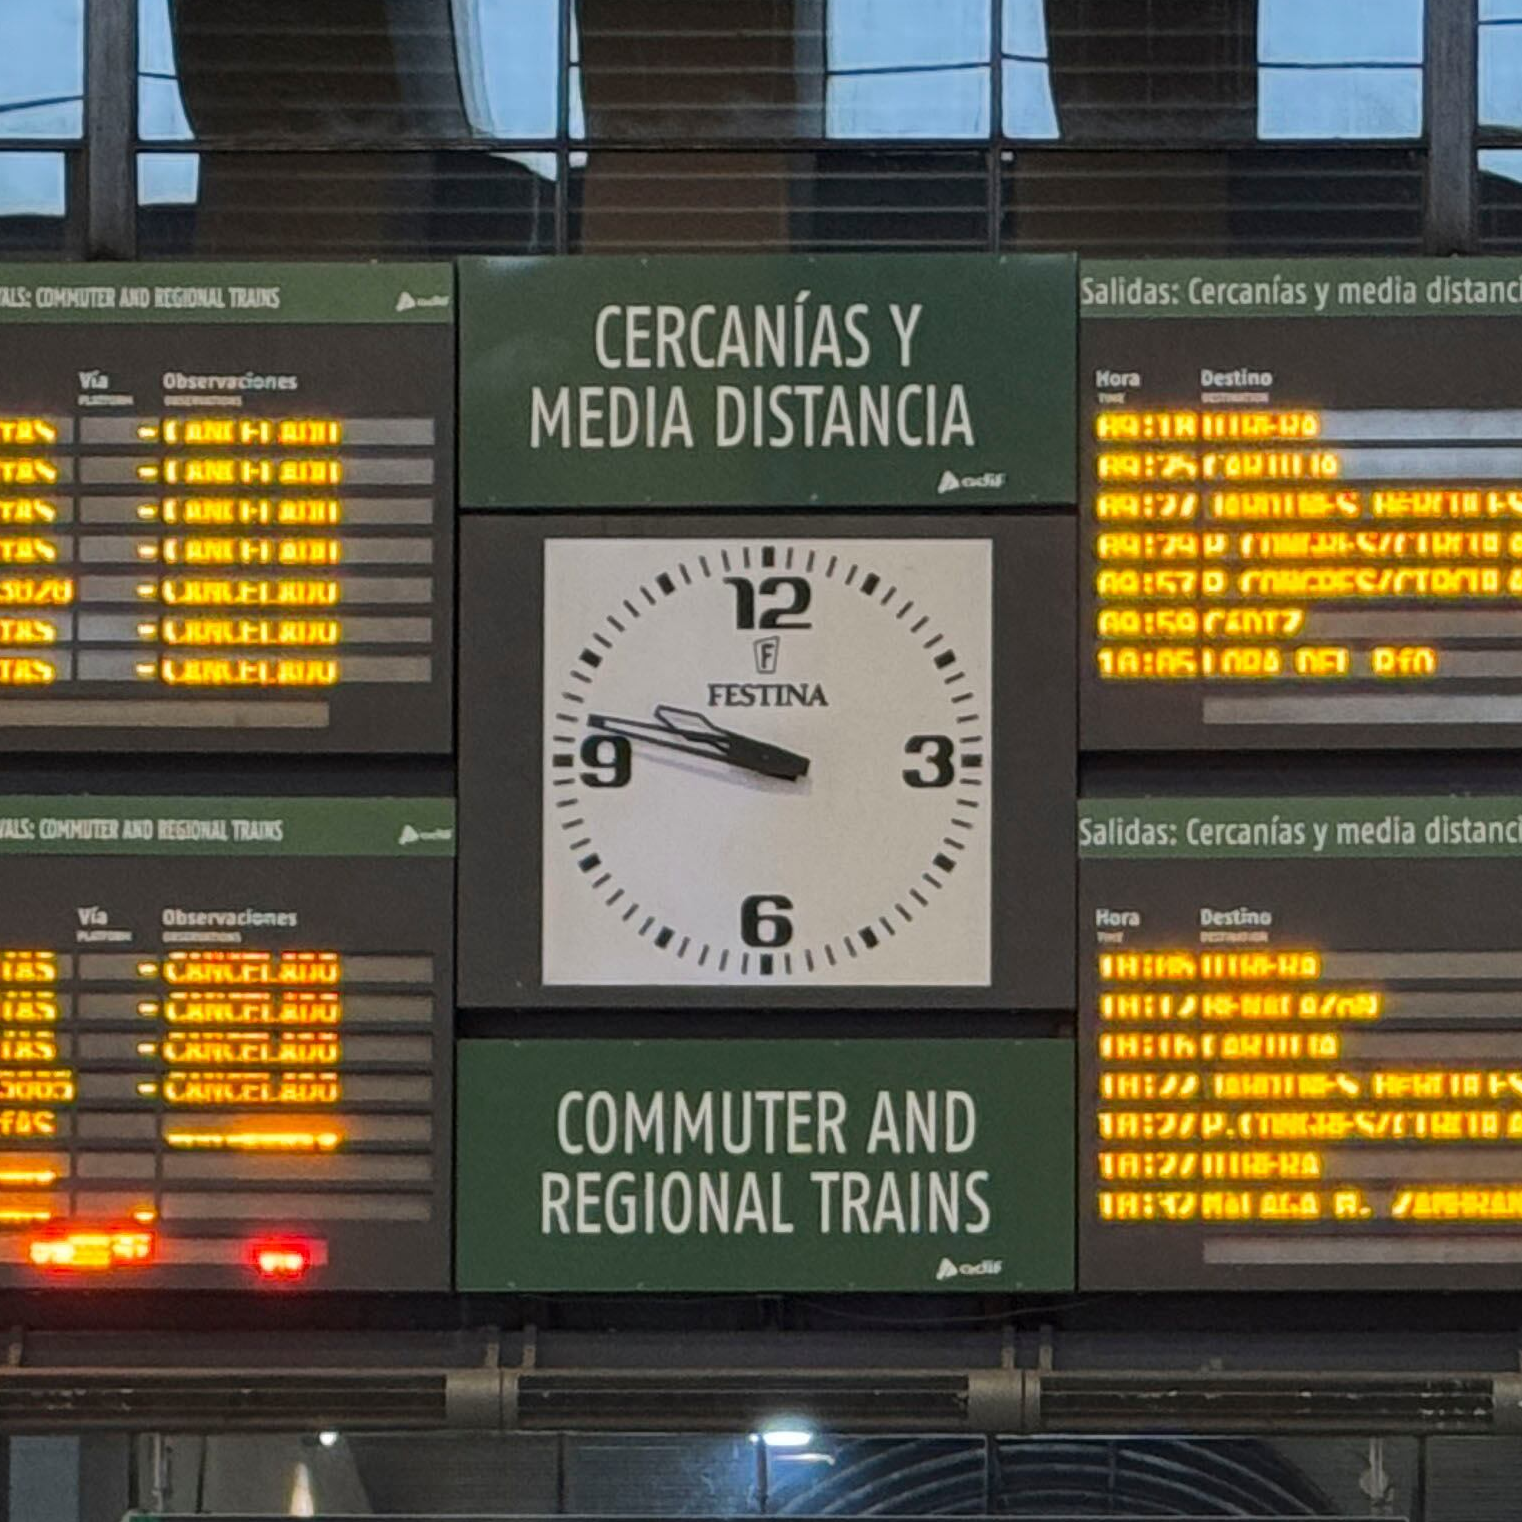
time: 9:46
